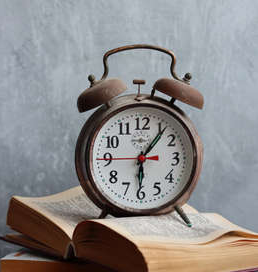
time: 6:06
